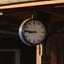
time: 8:46
